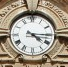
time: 4:15
